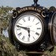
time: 5:47
